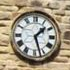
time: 1:27
